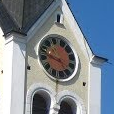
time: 3:47
